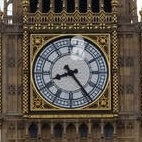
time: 8:24
